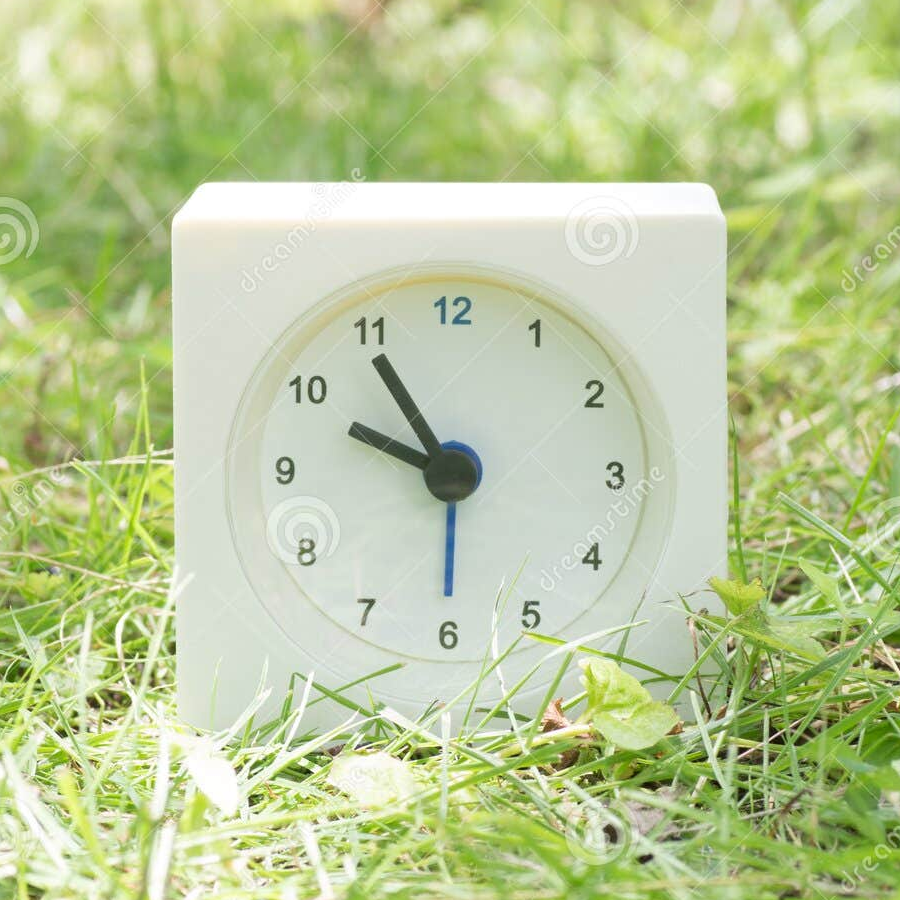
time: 9:54
